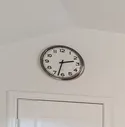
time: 2:32
